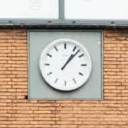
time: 1:07
